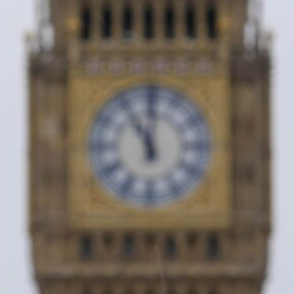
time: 11:00
